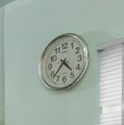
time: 4:37
